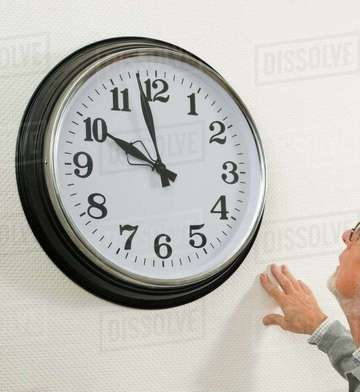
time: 9:57
